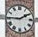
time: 1:45
